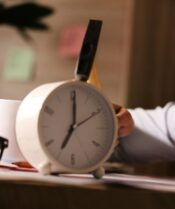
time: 7:00
